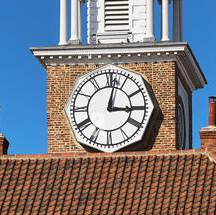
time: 3:01
